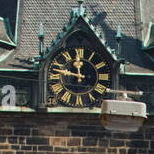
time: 11:47
